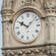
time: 10:07
